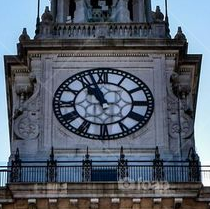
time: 10:56
